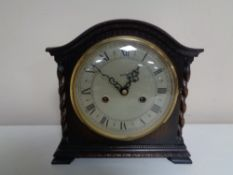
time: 12:51
